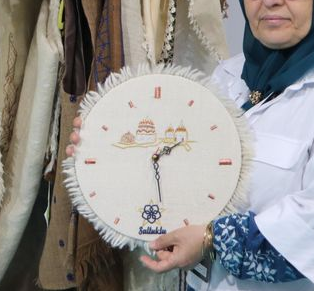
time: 1:28
